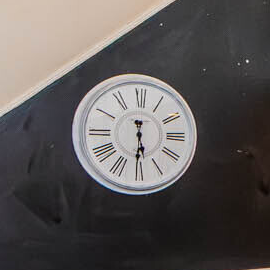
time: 5:30
